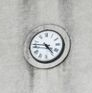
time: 4:46
